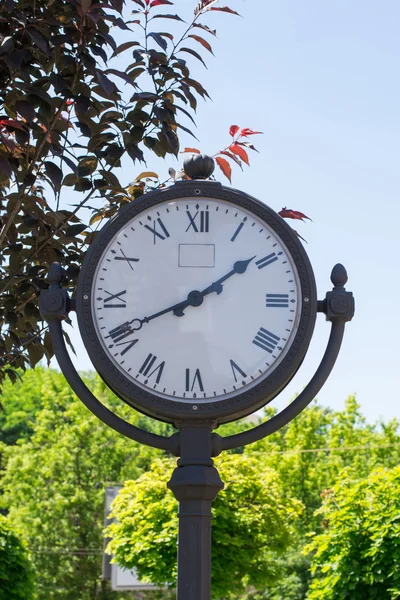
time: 1:40
